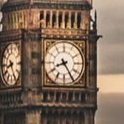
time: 8:24
